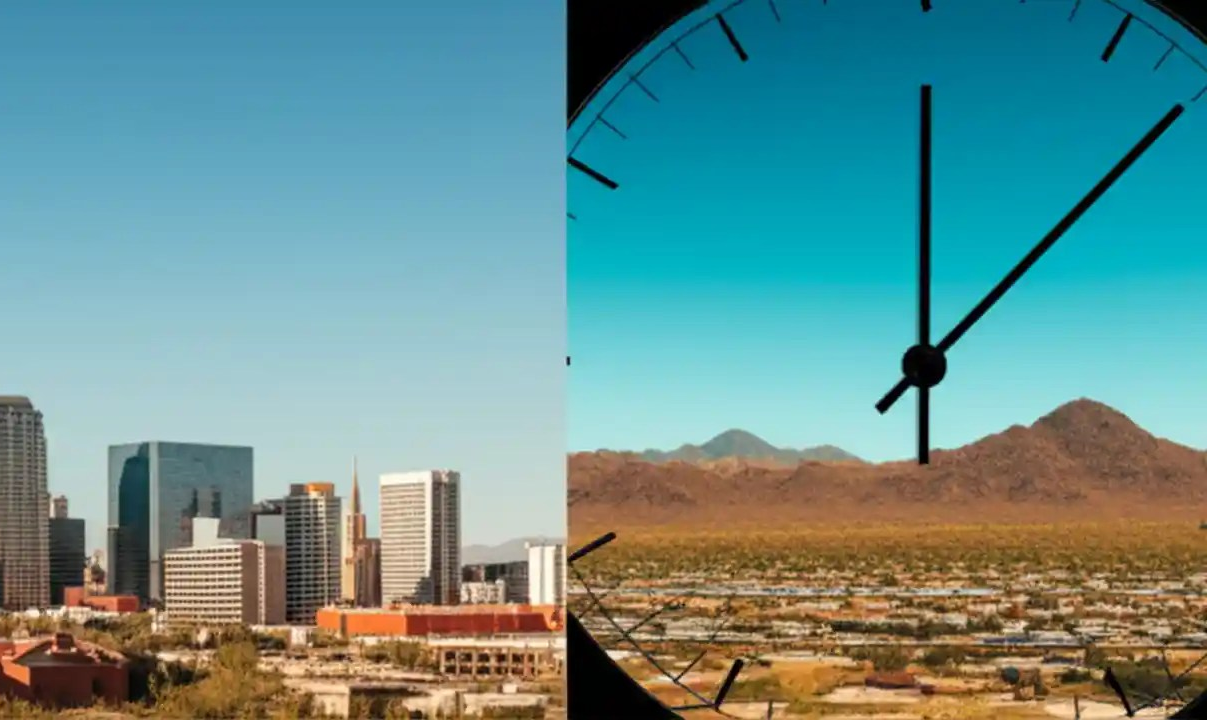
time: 12:07
